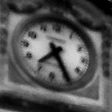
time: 7:25
